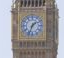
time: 1:33
